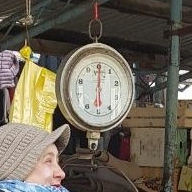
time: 6:00
